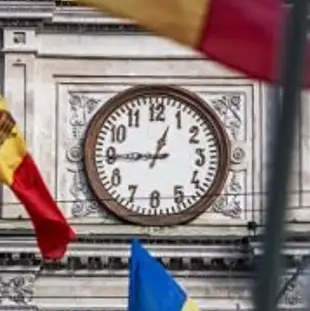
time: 12:44
